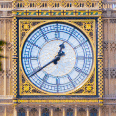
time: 12:39
